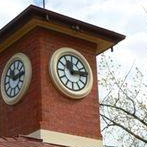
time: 11:13
